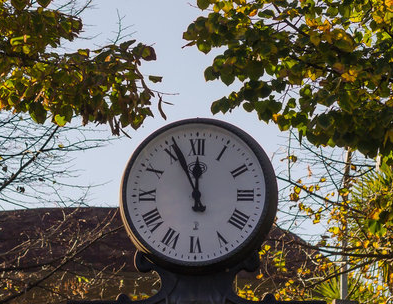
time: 11:55
